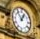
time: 12:53
